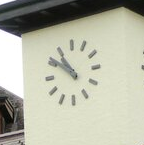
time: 10:51
